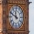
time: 11:49
